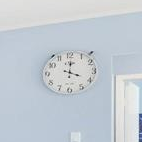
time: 4:00
